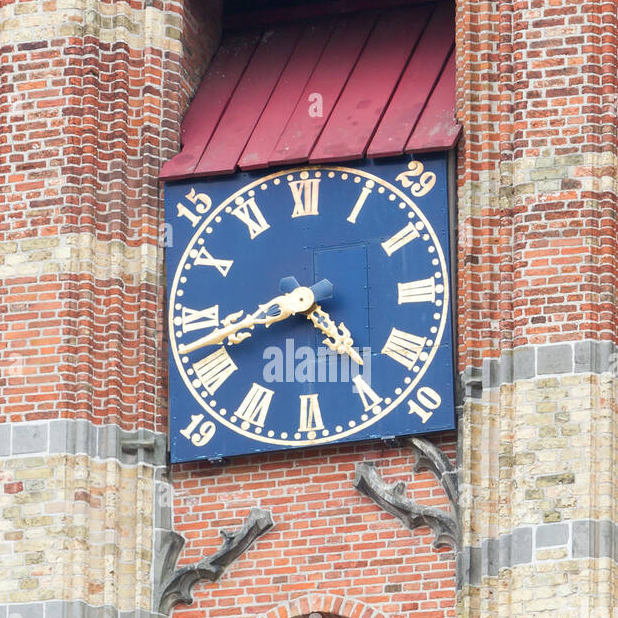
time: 4:42
